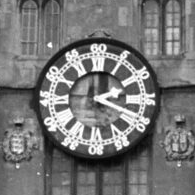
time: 2:18
